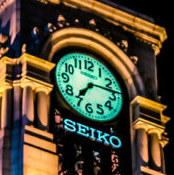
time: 7:13
